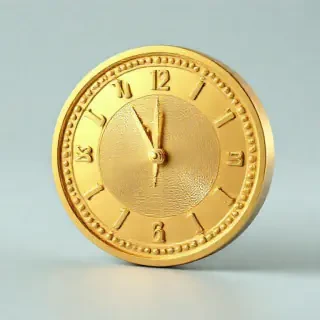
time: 11:54
